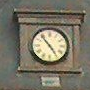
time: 4:53
